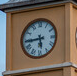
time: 5:44
